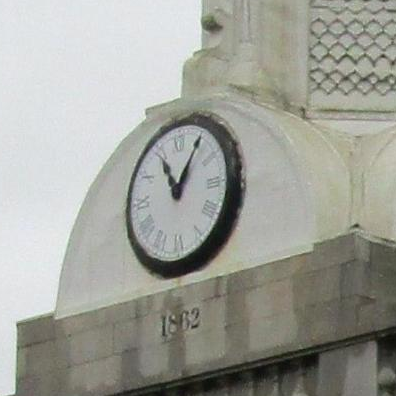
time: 11:05
